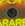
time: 3:52
